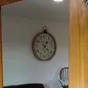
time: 1:21
